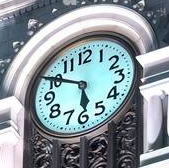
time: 5:50
